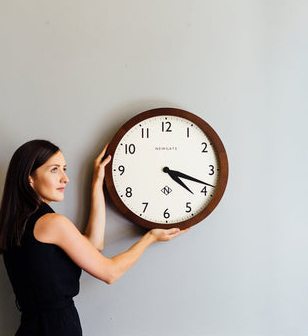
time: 4:18
